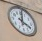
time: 4:01
